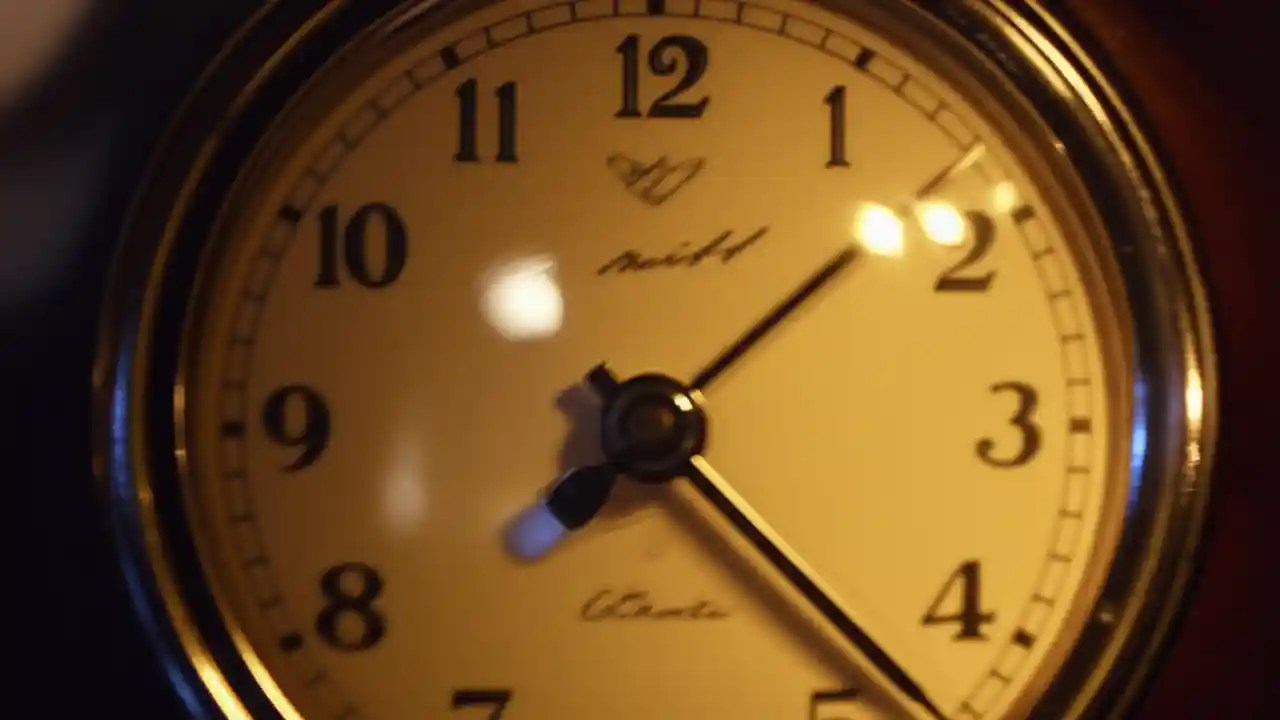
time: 8:08
